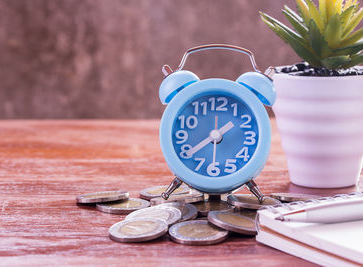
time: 1:39
